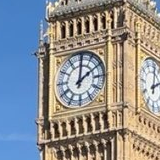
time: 2:01
